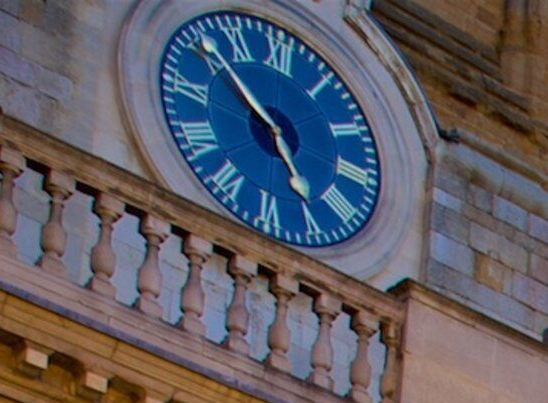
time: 4:50
